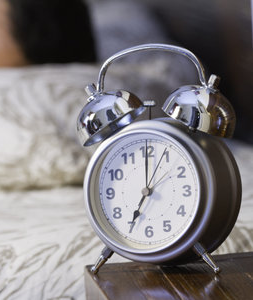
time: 7:00
